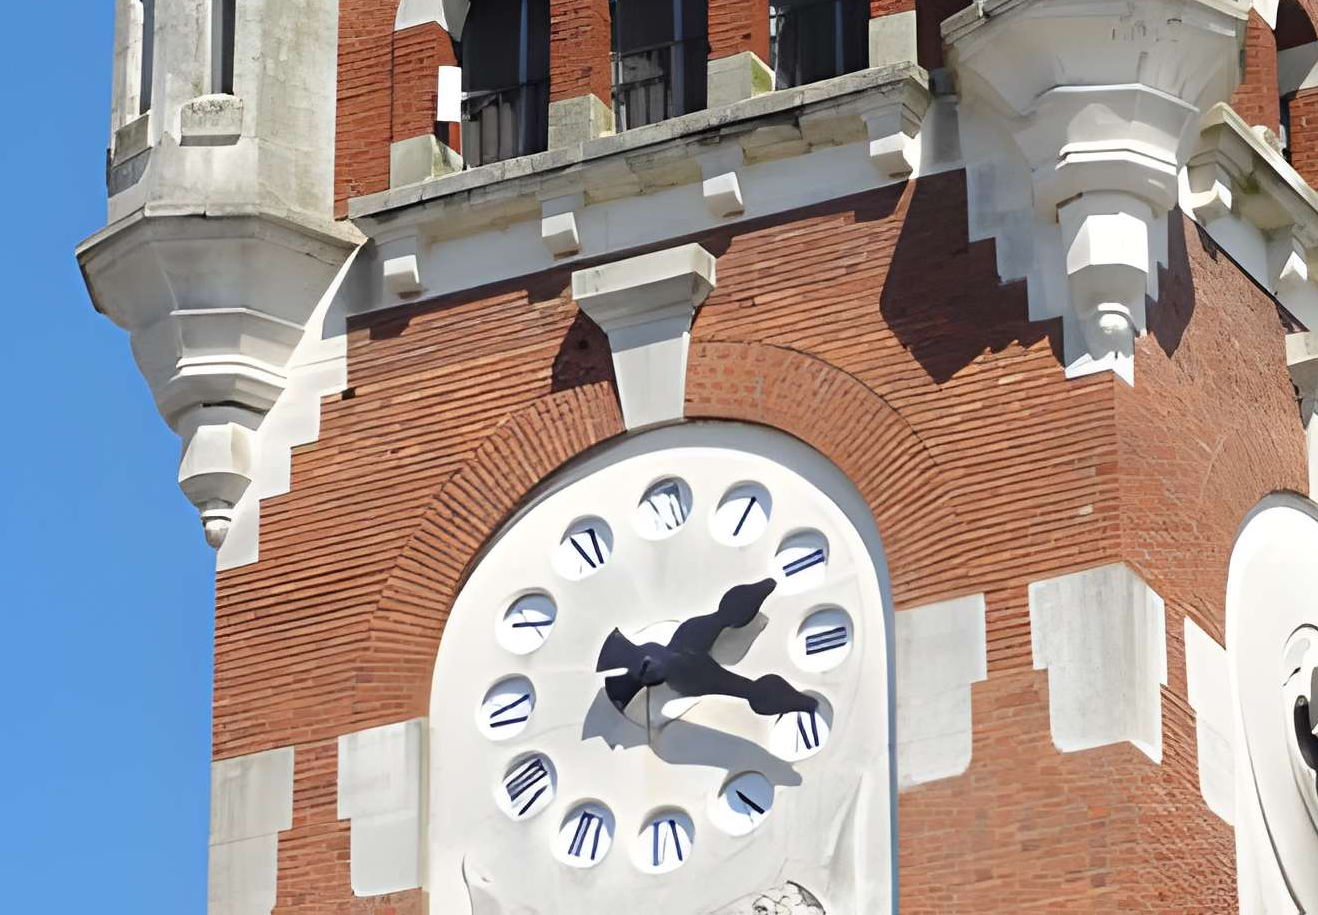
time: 2:18
